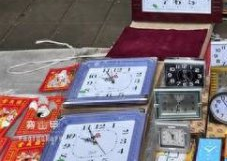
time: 9:55
